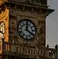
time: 12:20
